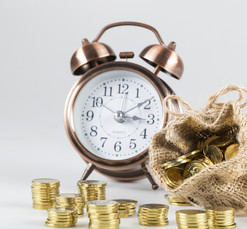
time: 3:09
